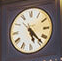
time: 5:23
